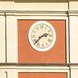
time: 2:38
